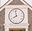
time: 7:58
